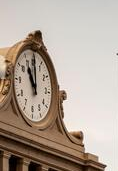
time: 11:00
